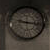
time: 9:15
